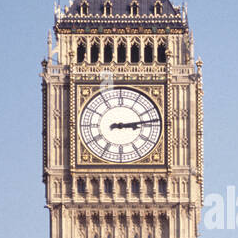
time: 3:13
